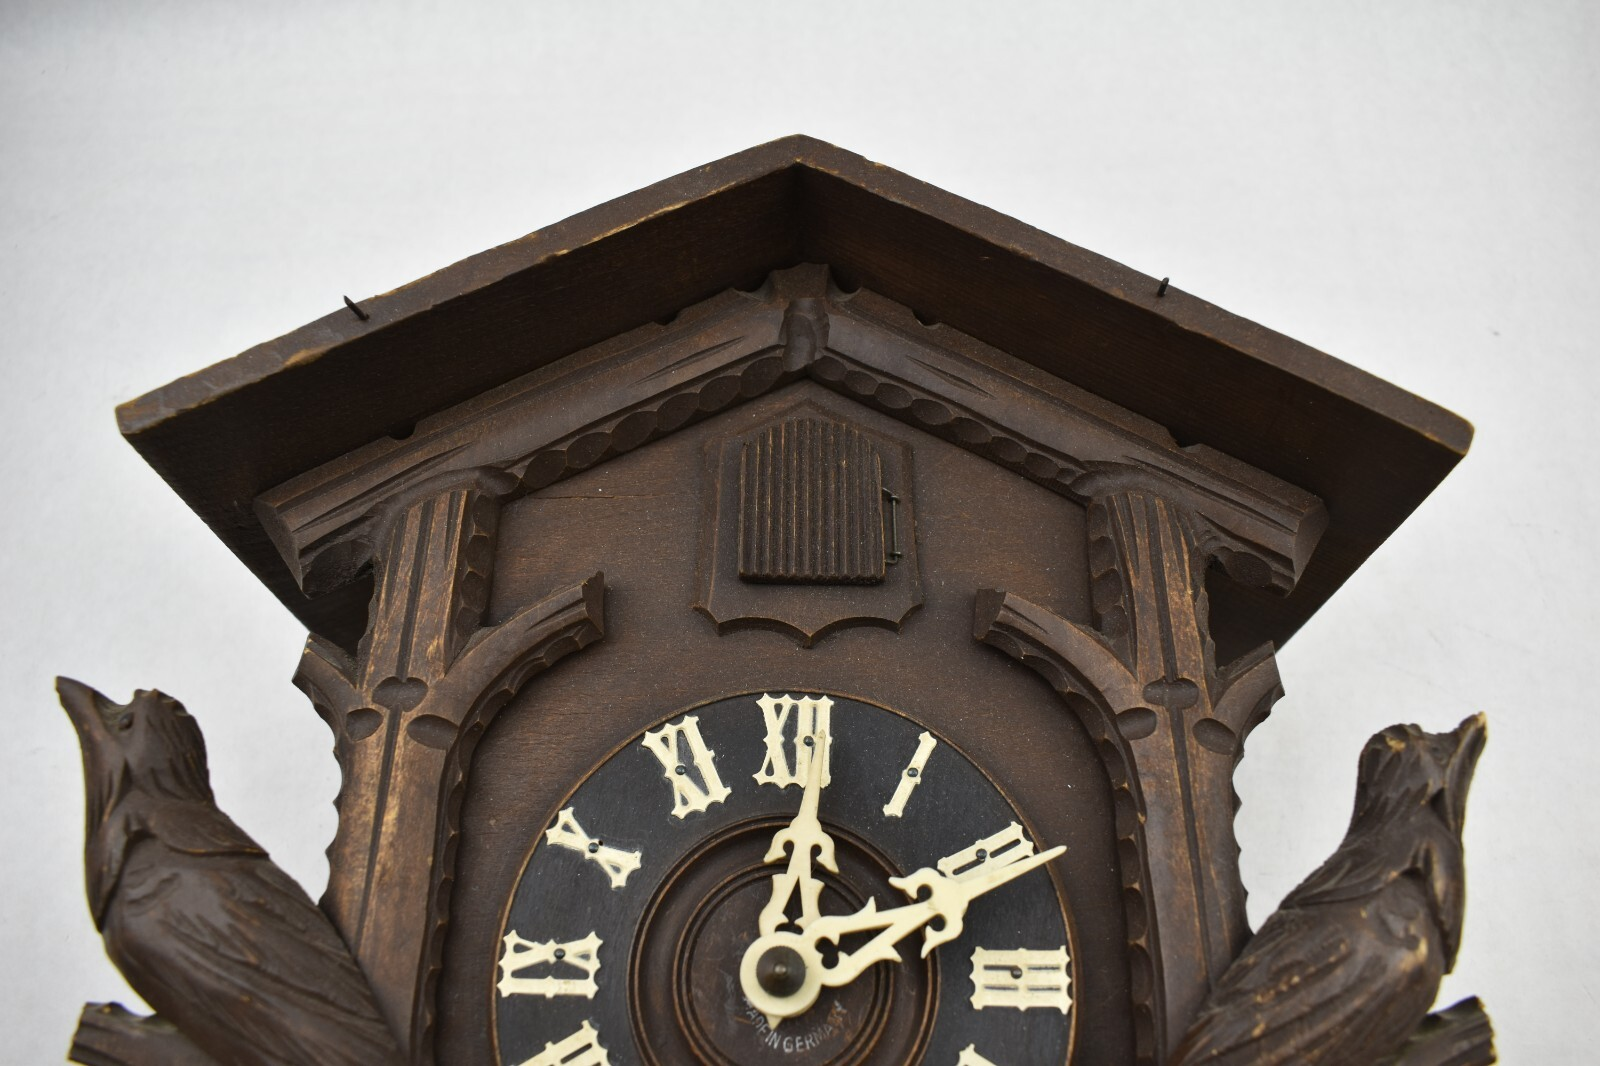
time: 12:10
